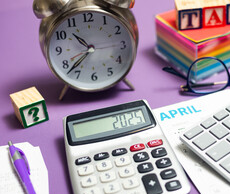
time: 10:37
